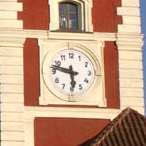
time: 5:47
